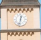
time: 12:32
